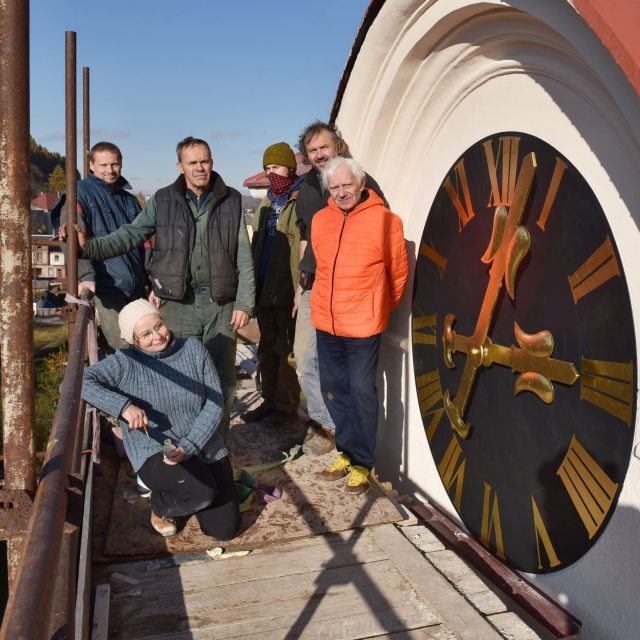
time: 12:34
